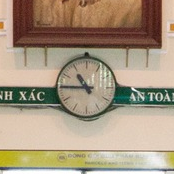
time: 10:45
